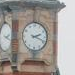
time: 2:18
